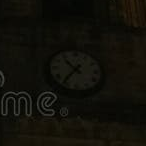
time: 10:36
